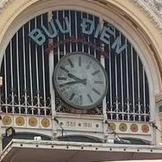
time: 9:42
